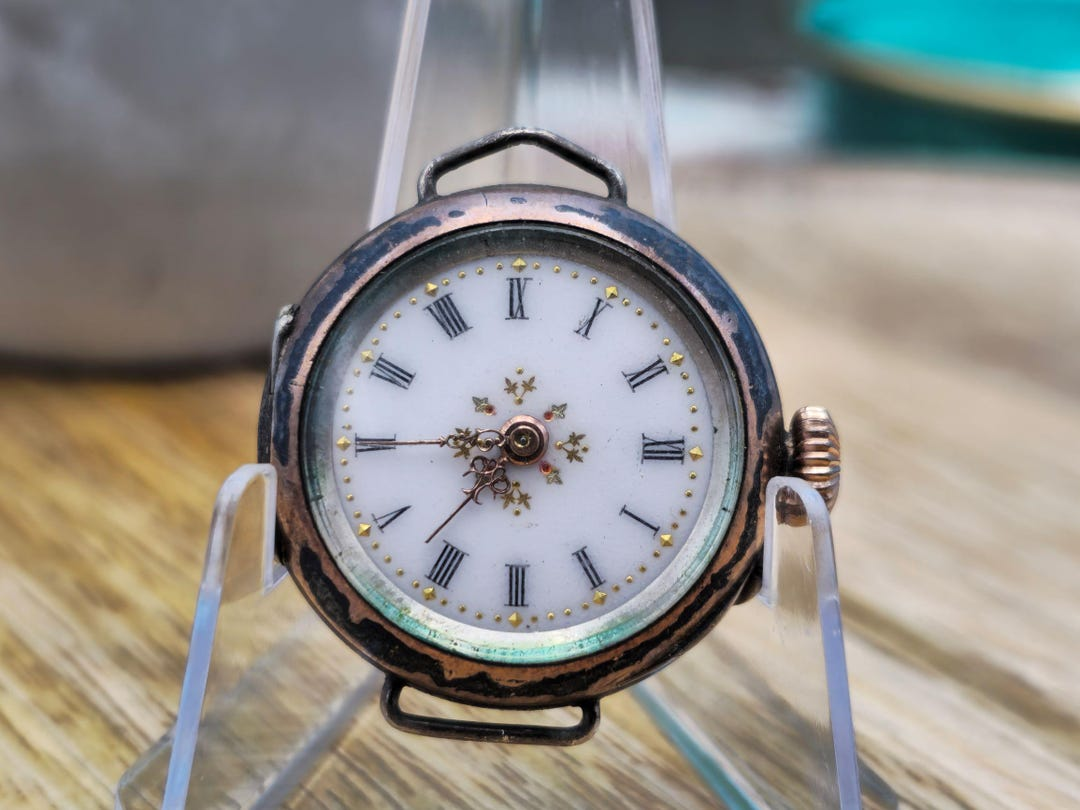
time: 8:36
